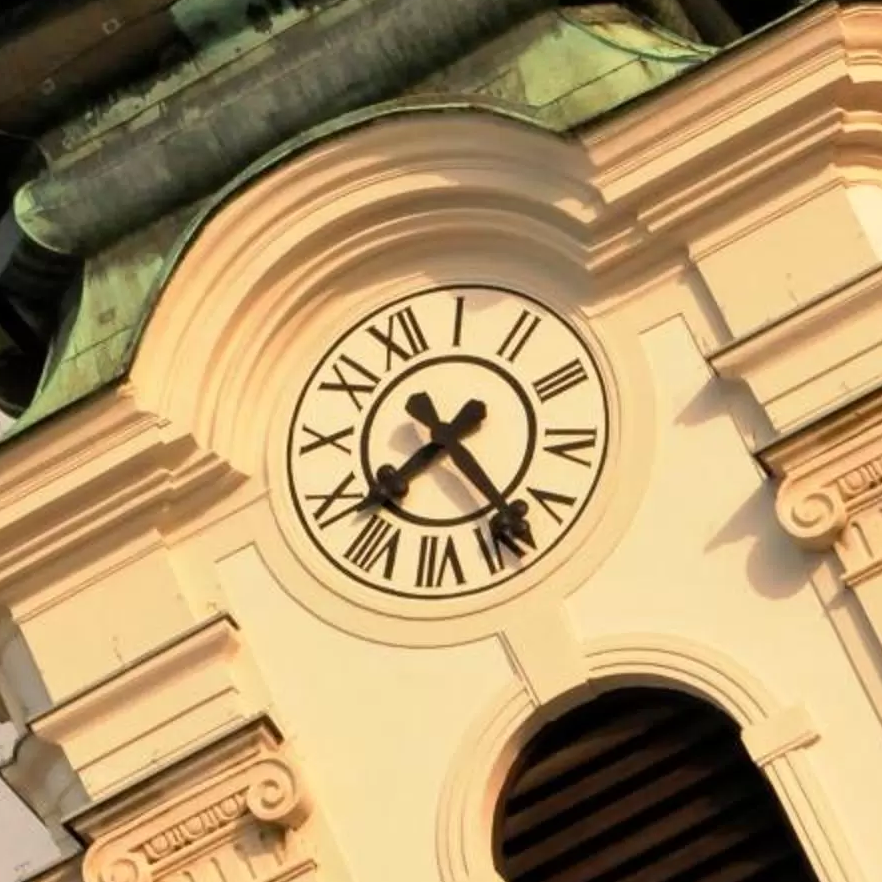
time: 7:23
